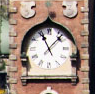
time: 11:07
